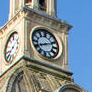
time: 8:11
